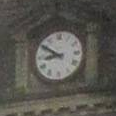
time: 8:50
